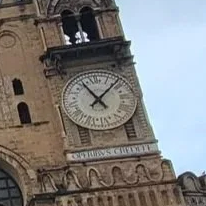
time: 11:07
